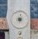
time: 9:01
